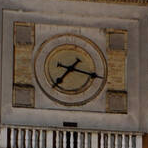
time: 7:17
